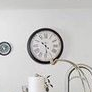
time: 10:28
